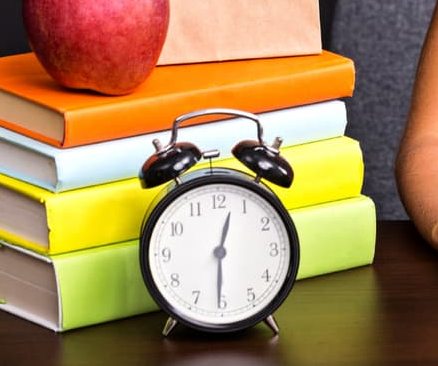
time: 12:30
